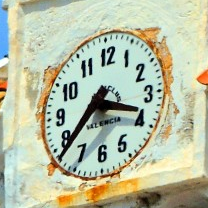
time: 3:37
